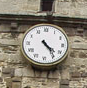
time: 4:23
